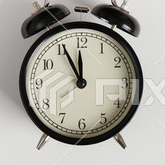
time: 11:55
